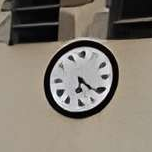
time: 6:21
